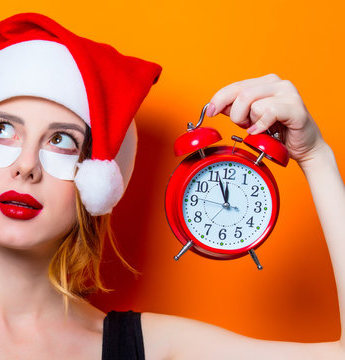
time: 11:56
